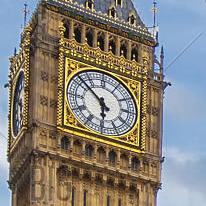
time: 5:51
